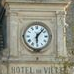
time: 6:07
